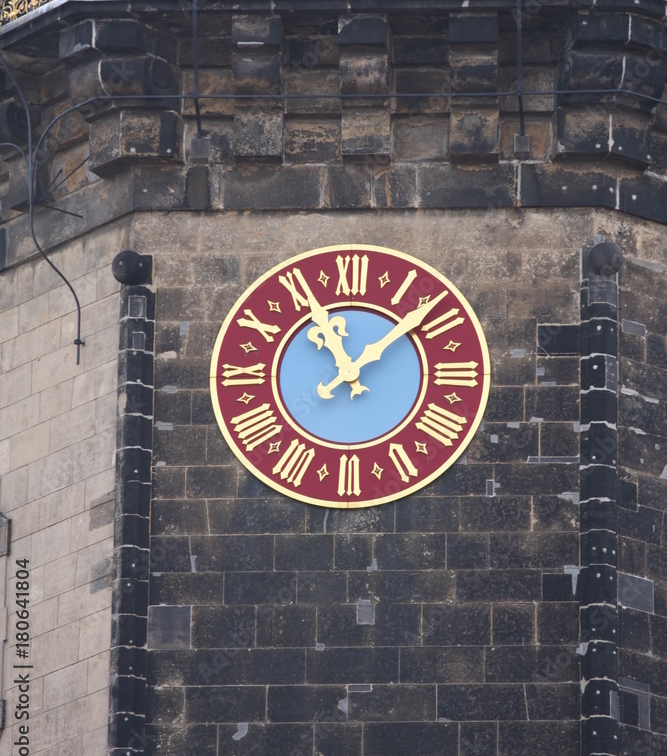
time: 11:08
